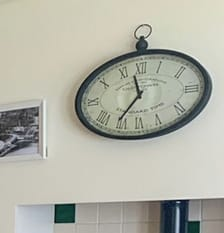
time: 11:35
